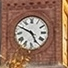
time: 4:49
